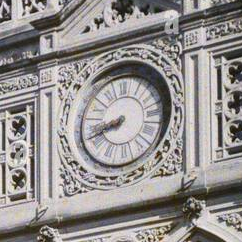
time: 8:41
